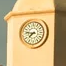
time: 7:46
